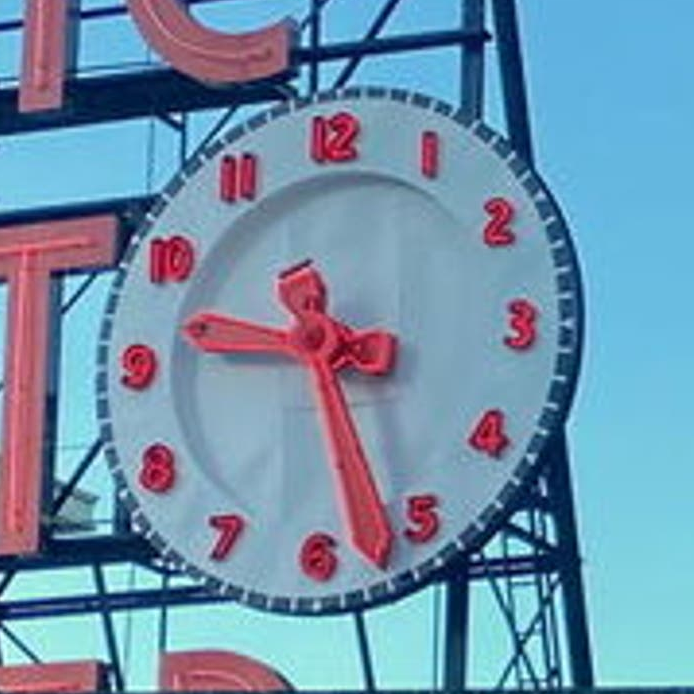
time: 9:27
